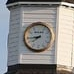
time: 7:43
